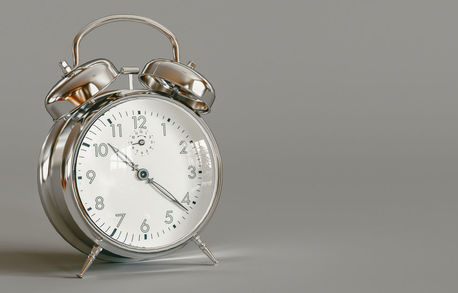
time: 10:21
